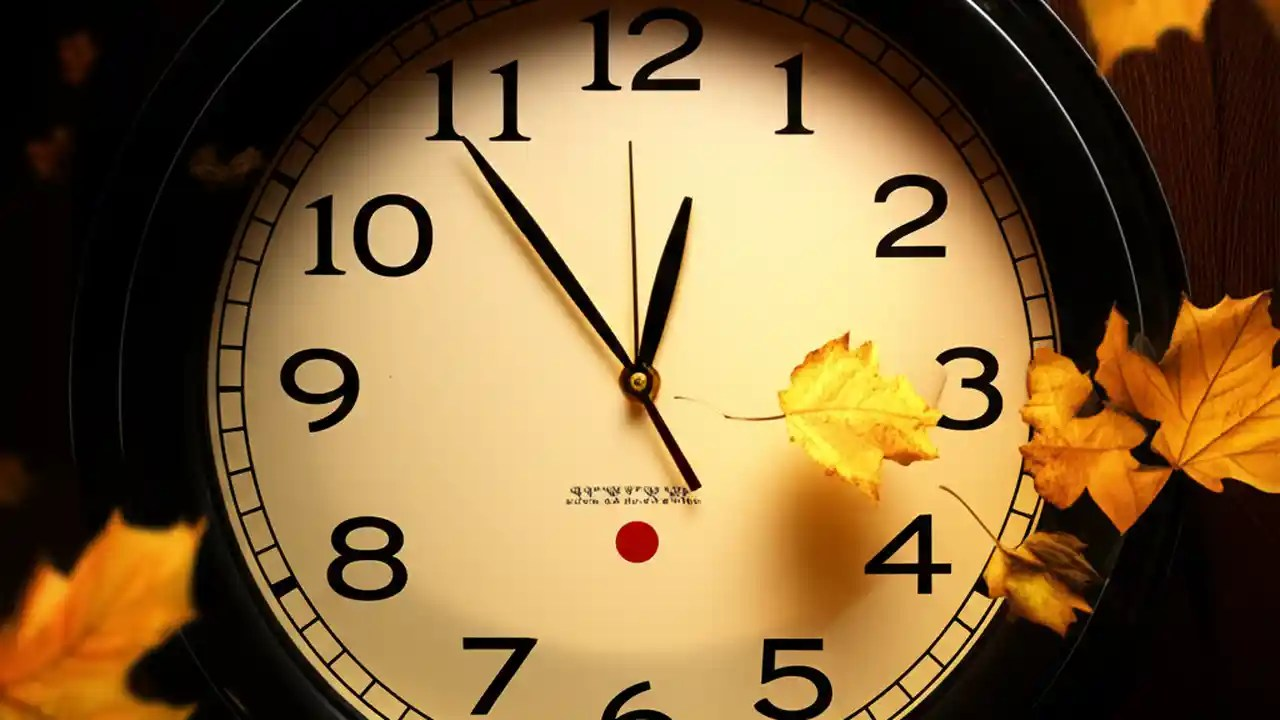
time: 12:54
